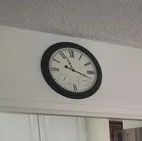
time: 11:18
